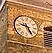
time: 9:25
